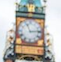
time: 11:13
